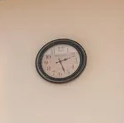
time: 2:26
